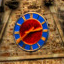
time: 2:38
